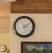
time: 3:09
